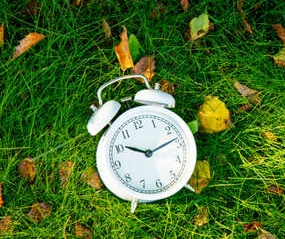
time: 10:13
